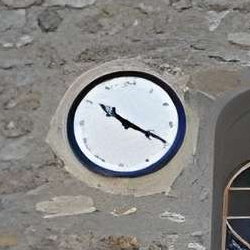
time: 10:19
